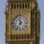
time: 11:35
